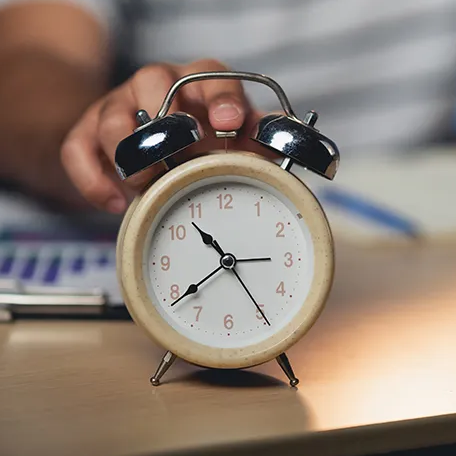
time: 10:39
